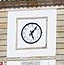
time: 5:06
